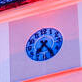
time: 7:24
